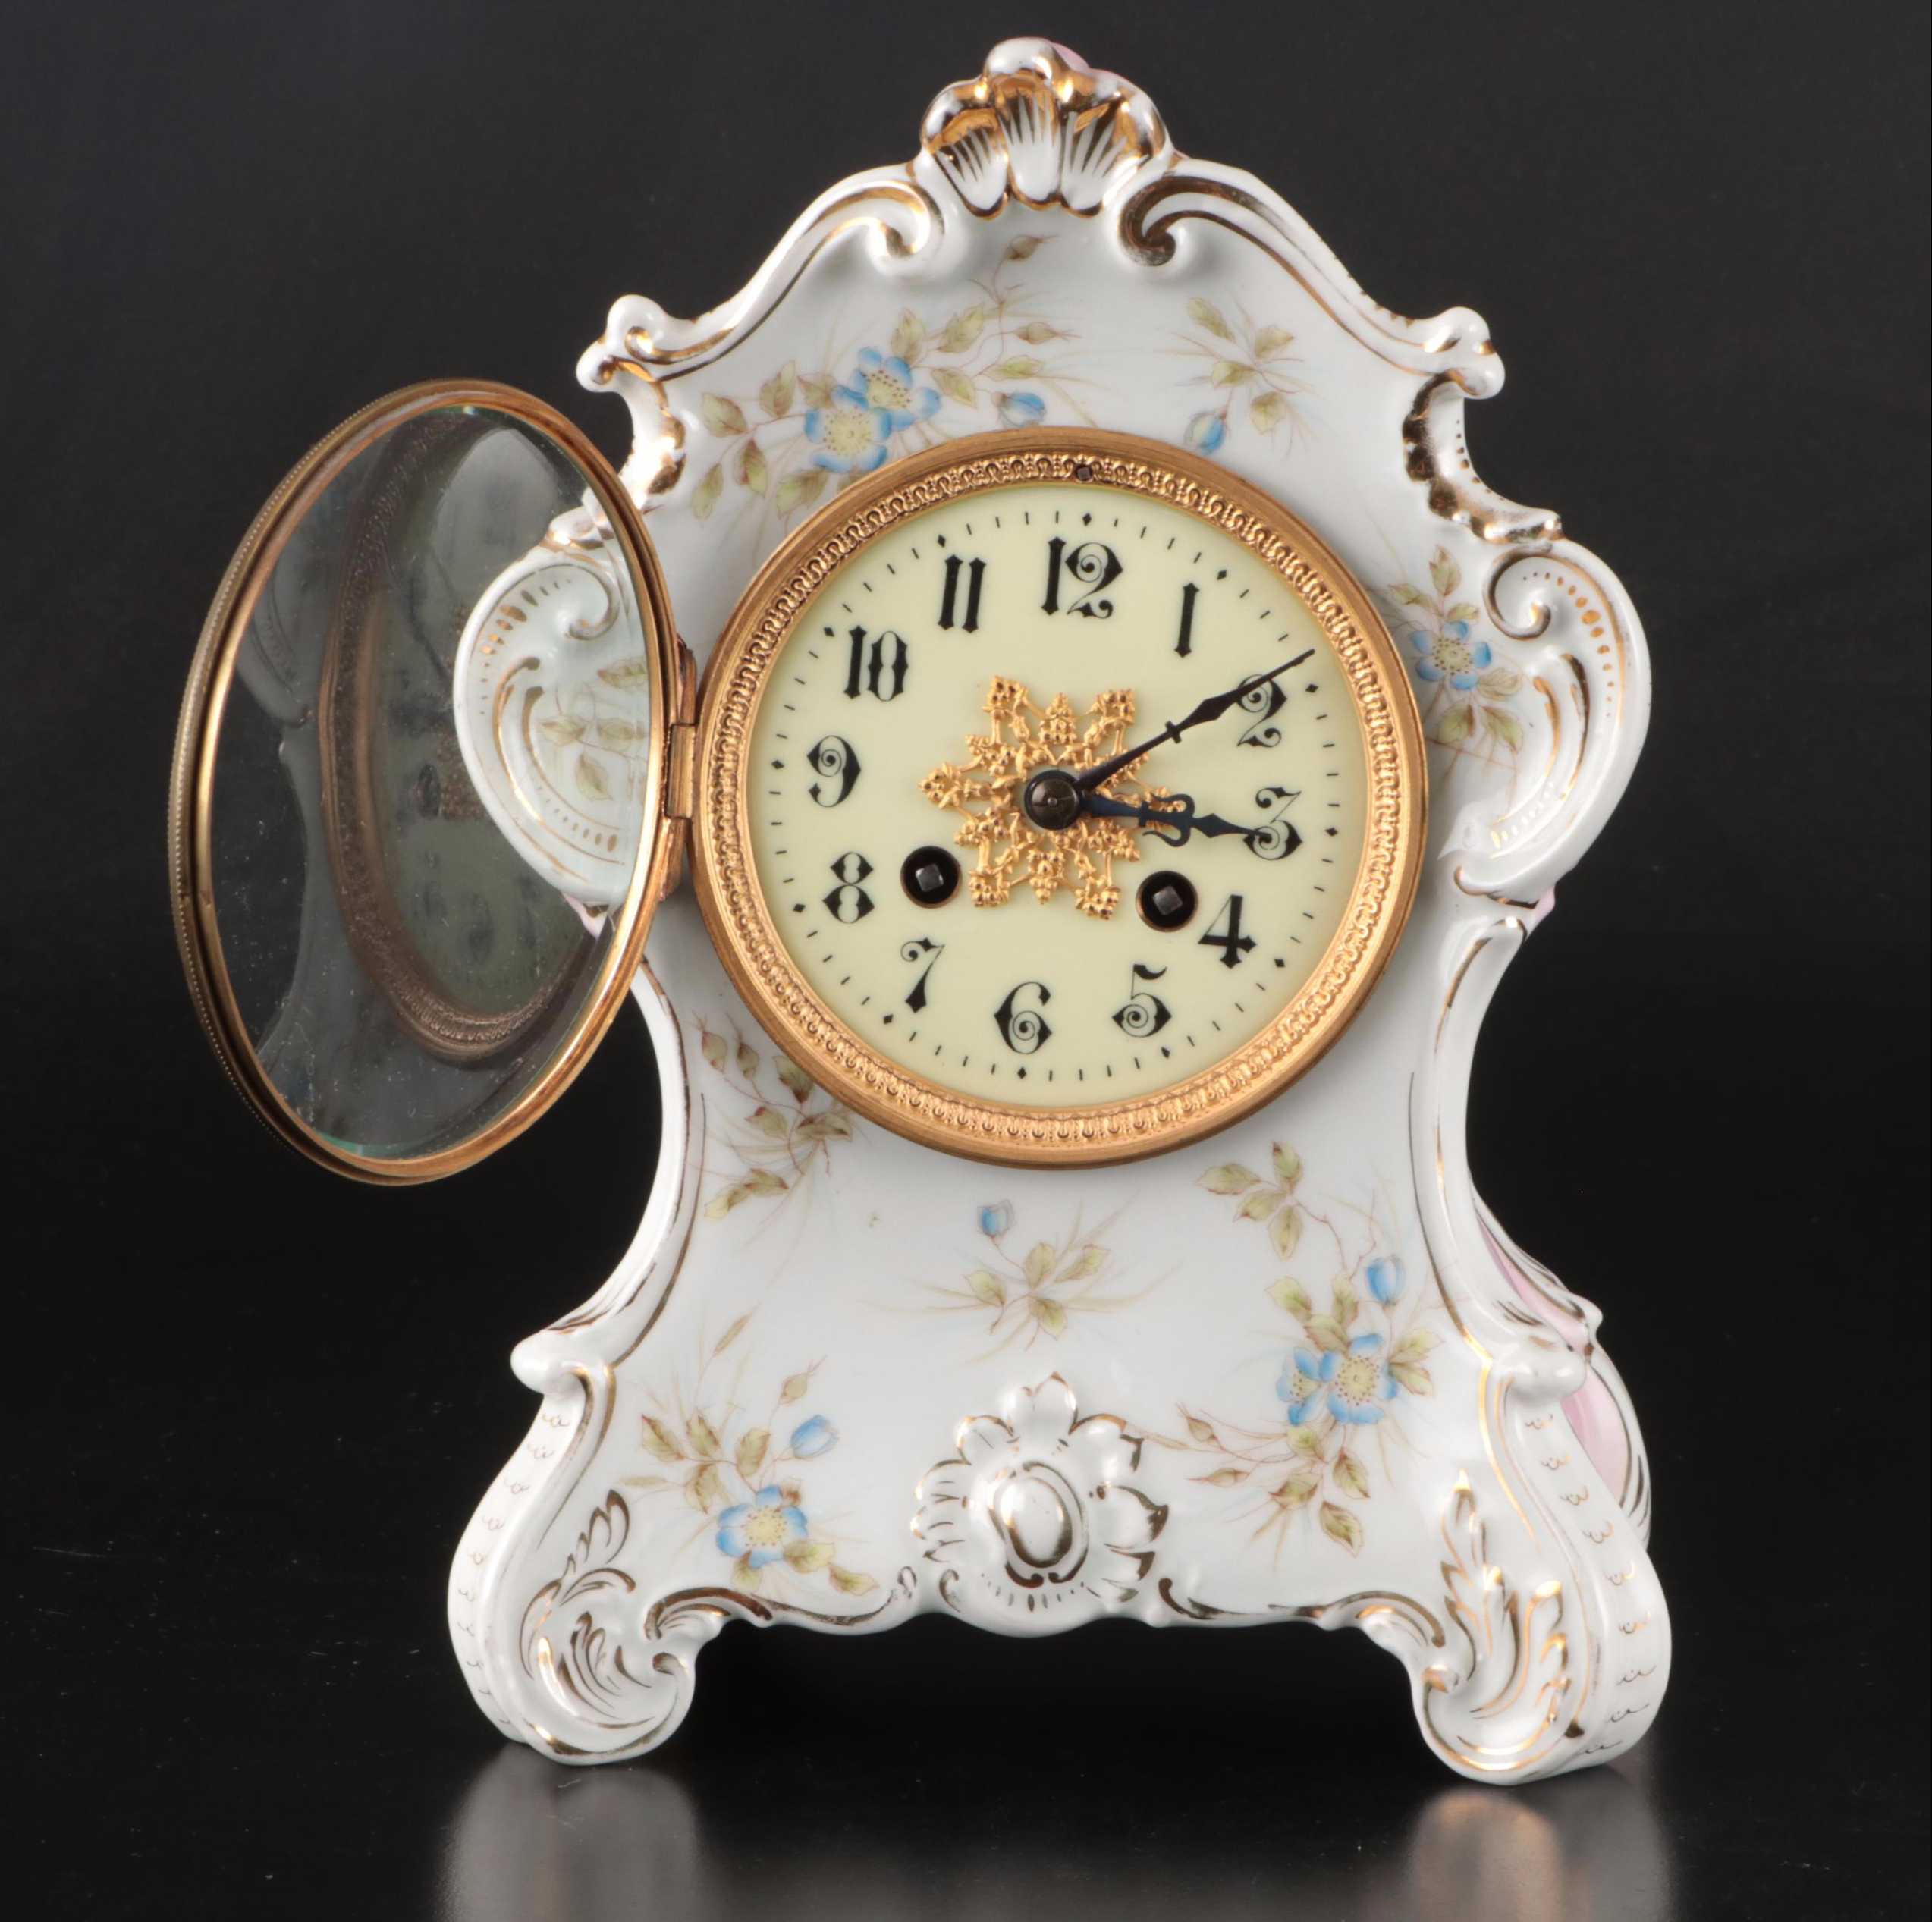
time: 3:09
